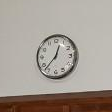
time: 12:37
